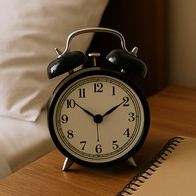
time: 1:51
